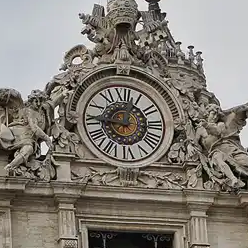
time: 12:45
